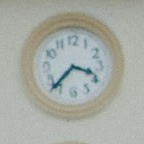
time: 3:37
